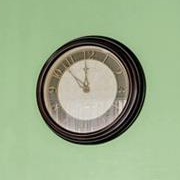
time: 11:52
